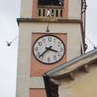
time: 3:37
